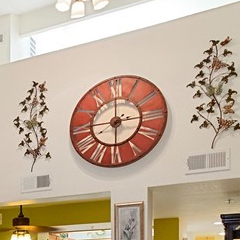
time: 3:00
